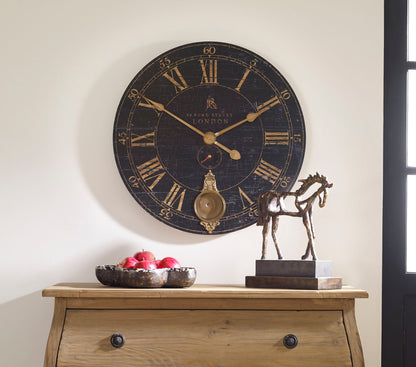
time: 1:50
